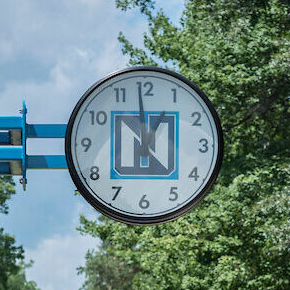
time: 12:58
